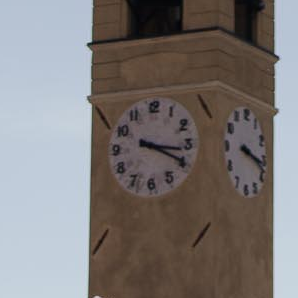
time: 3:19
